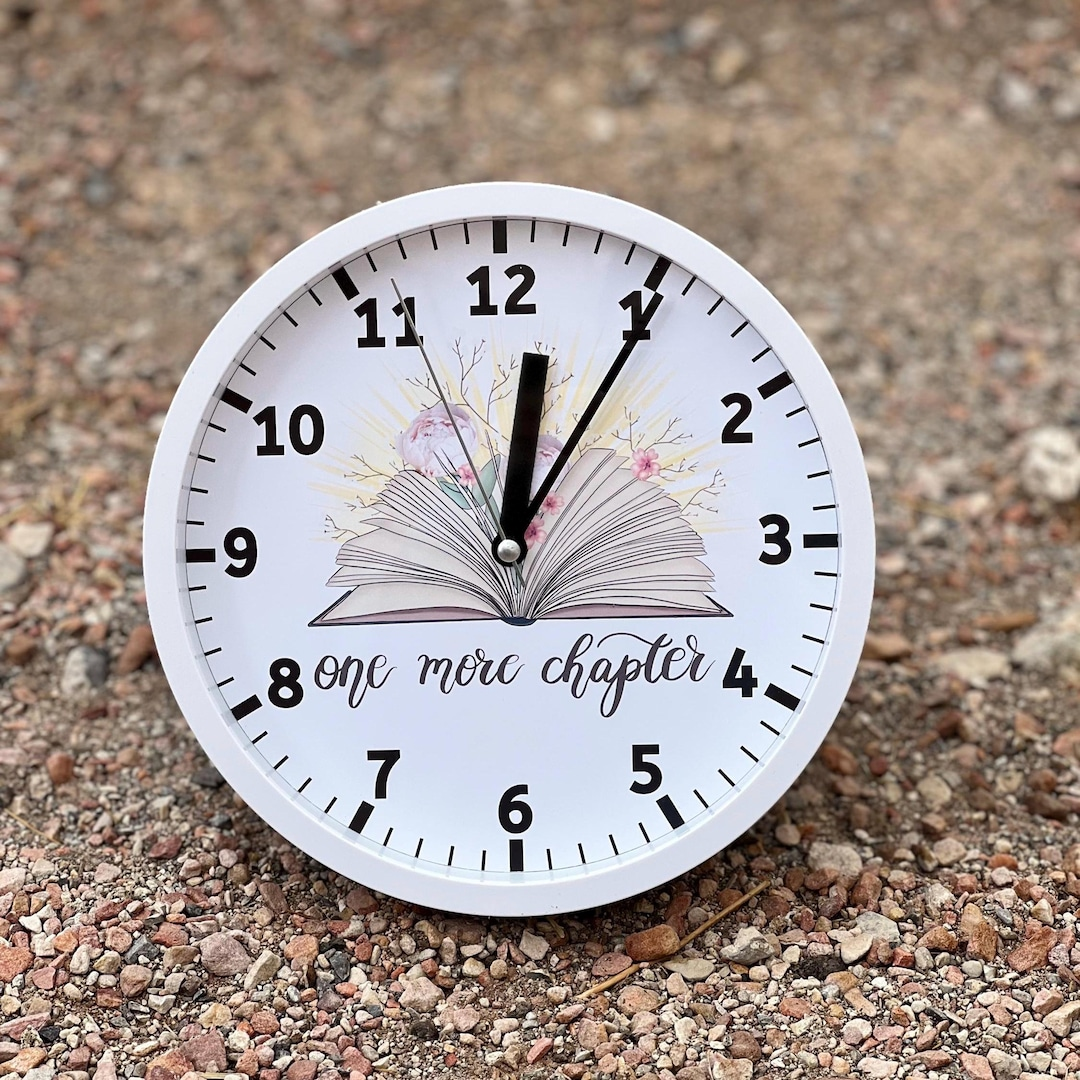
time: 12:05
